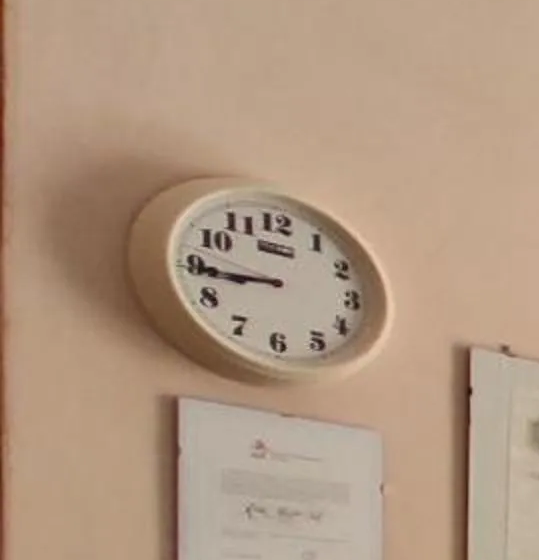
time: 8:44
